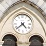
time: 4:38
